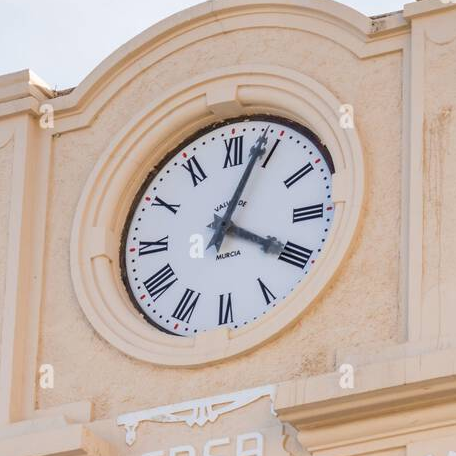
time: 4:03
